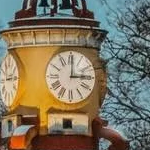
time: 3:00
